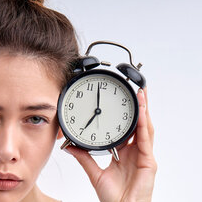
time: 6:58
